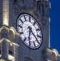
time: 6:21
